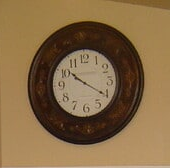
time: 10:20
